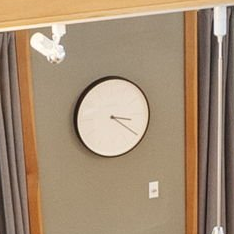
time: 3:20
